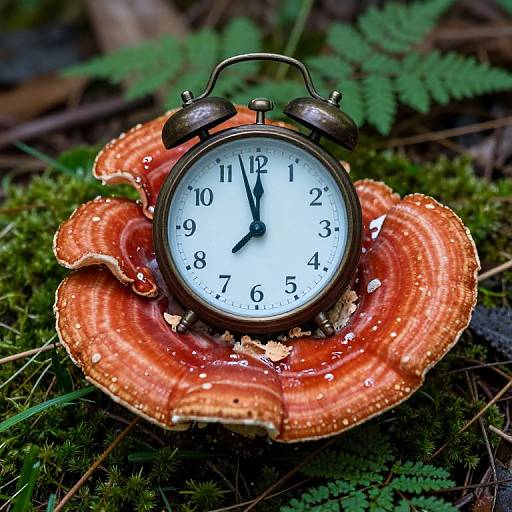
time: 11:57
